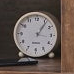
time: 1:06
